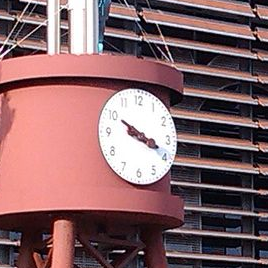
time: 3:50
